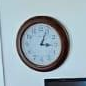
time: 3:03
